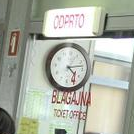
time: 4:13
